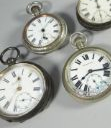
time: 11:34
